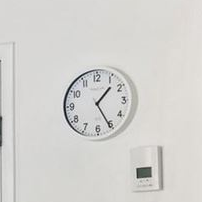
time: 1:25
